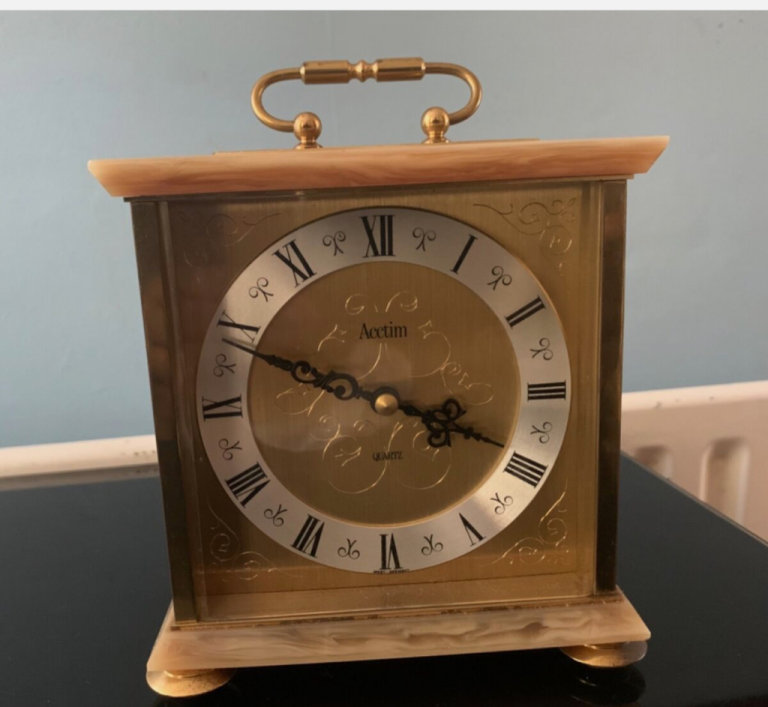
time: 3:48
